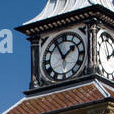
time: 1:55
